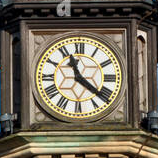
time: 11:21
